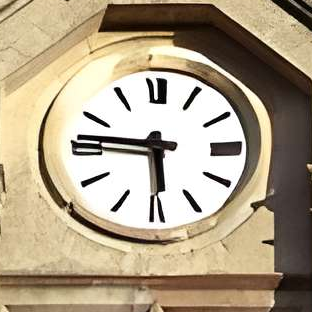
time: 5:46
